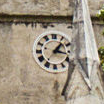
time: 1:16
